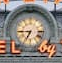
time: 6:44
